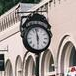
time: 5:58
